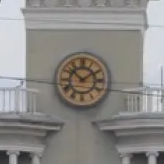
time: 1:51
